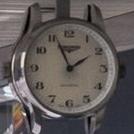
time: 1:56
